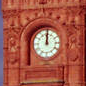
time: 12:00
